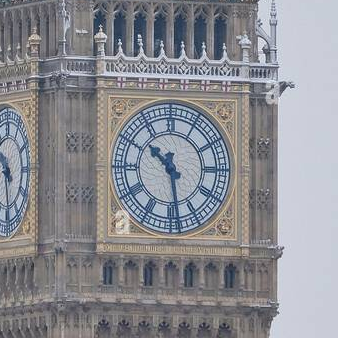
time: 10:28
